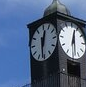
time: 12:30
